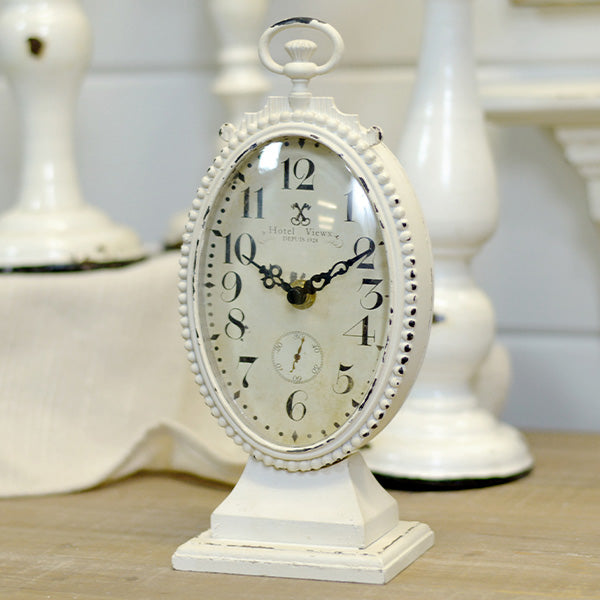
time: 9:10
